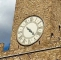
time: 4:22
